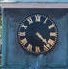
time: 4:22
